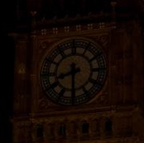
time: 8:30
